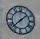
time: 1:37
